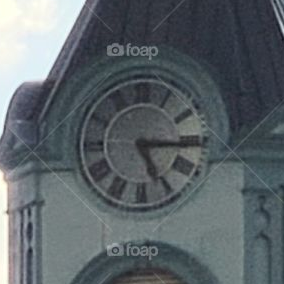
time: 5:15
